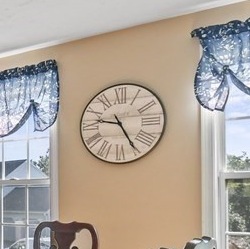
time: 9:24
